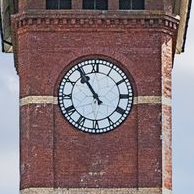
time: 10:54
